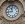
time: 11:44
